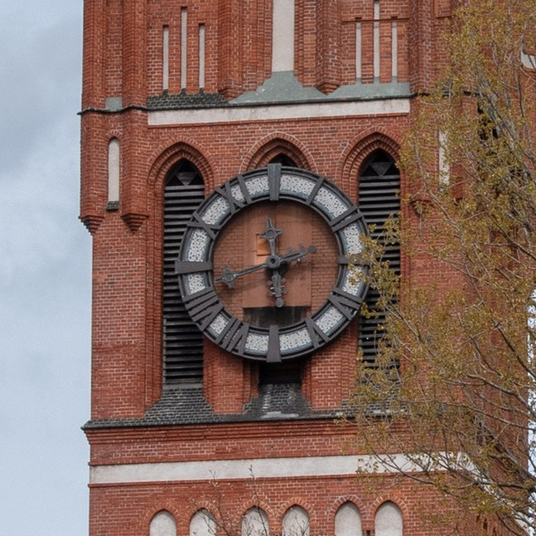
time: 11:42
